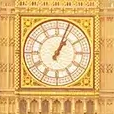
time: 1:03
